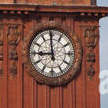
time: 8:59
